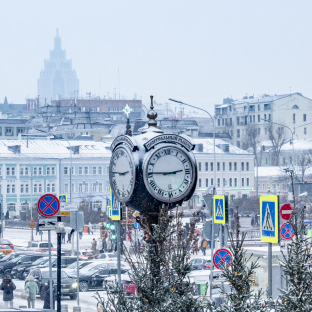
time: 2:45
